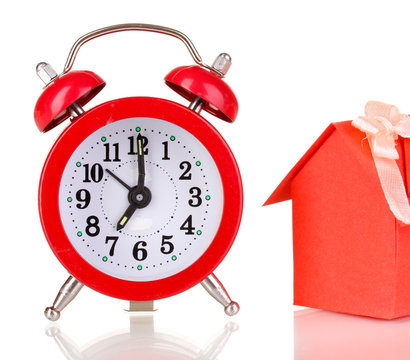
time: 7:00
